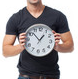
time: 12:52
